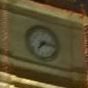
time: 7:15
